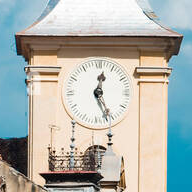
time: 12:26
